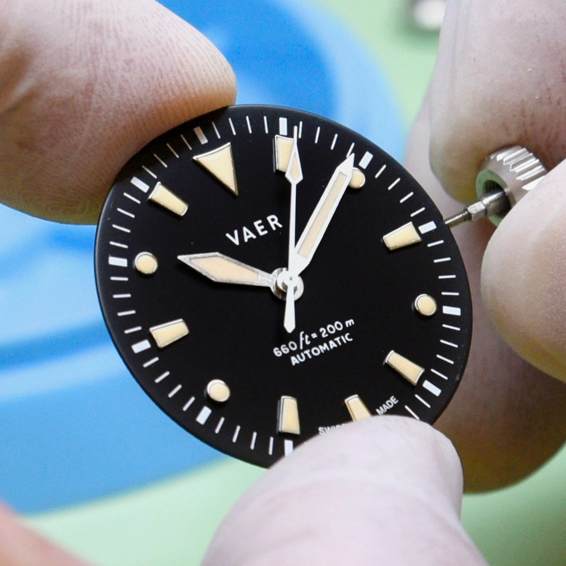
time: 9:04
